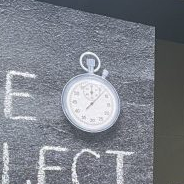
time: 12:07
